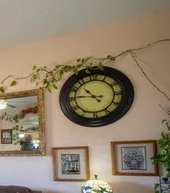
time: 10:45
